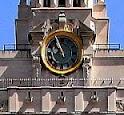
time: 10:56
